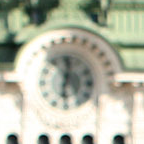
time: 6:01
